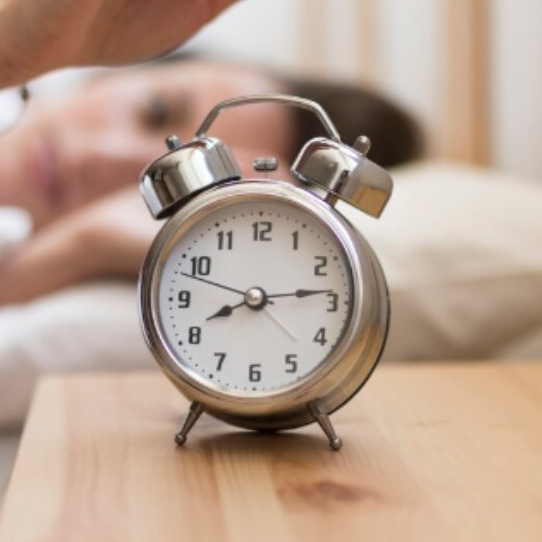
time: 8:13
